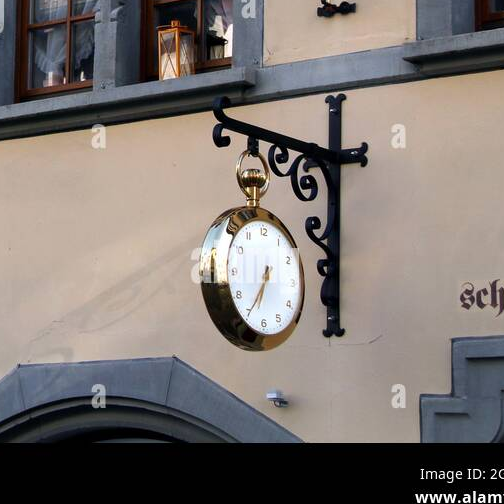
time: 6:34
